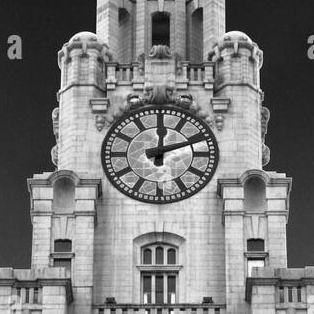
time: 12:11
